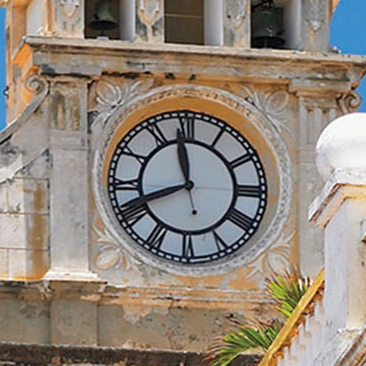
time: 11:41
